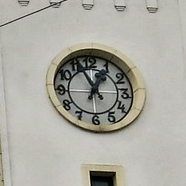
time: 12:55
